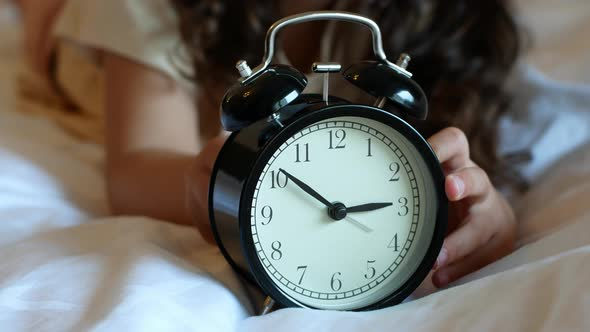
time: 2:51
